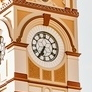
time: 6:35
